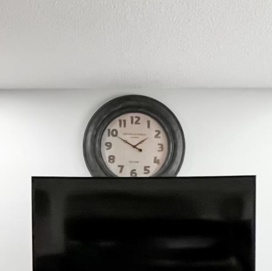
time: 1:50
